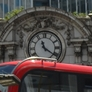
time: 11:21
